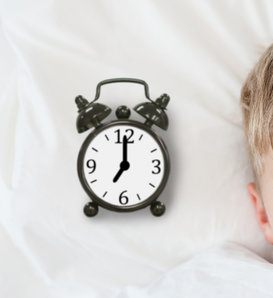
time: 7:00
